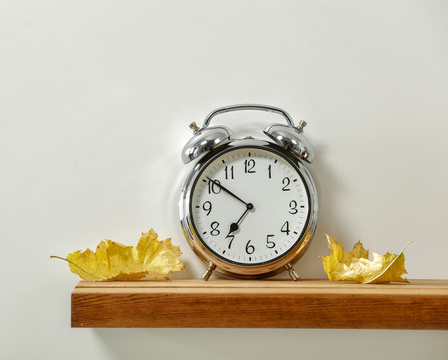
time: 6:50
